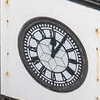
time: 12:05
